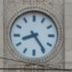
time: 8:24
